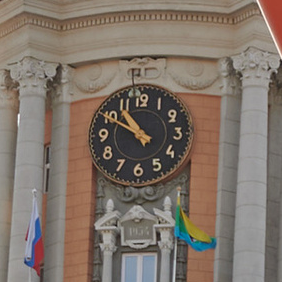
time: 10:49
